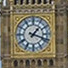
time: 1:18
